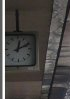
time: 12:10
